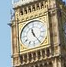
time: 11:24
